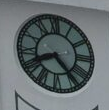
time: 8:23
